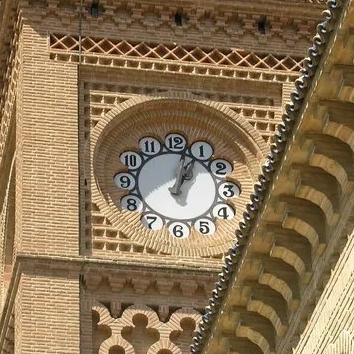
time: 1:02
